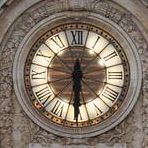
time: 6:30
